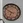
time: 6:50
